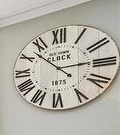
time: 2:52
